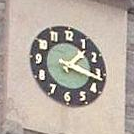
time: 1:17
